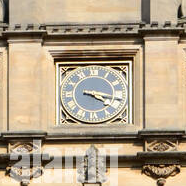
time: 4:17
